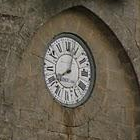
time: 8:03
